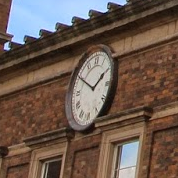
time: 1:50
